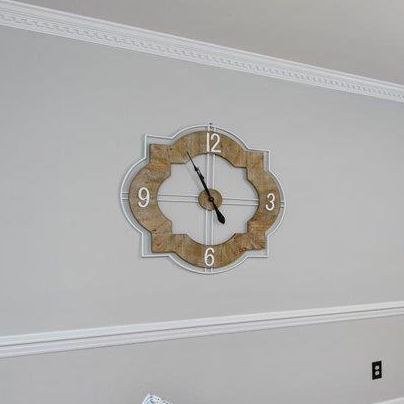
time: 4:55
